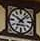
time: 10:07
